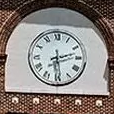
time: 2:29
